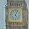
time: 5:03
